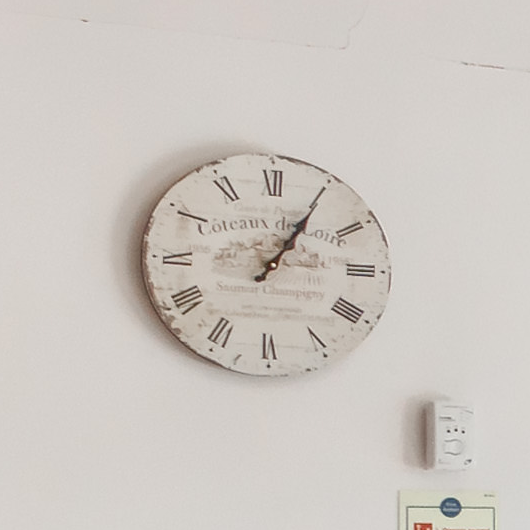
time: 1:05
